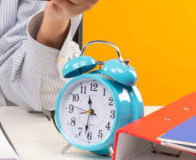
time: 11:32
